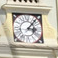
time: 3:06
